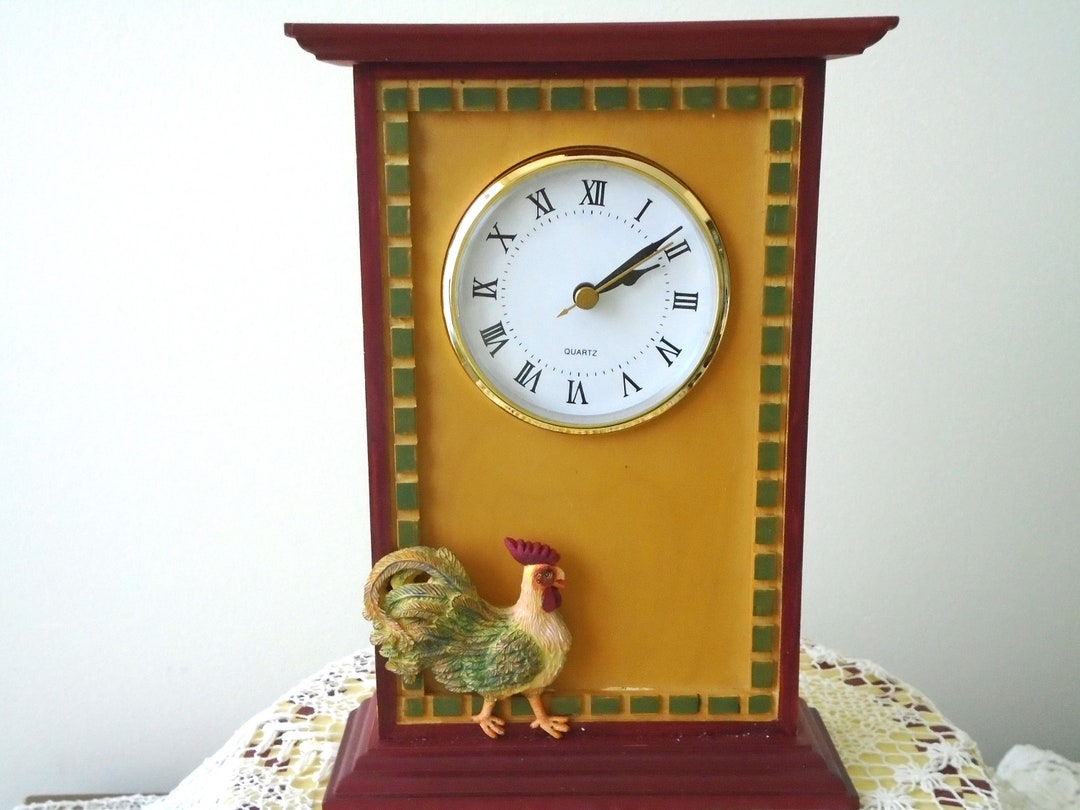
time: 2:09
